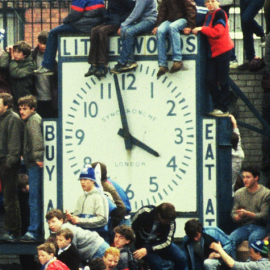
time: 3:58
